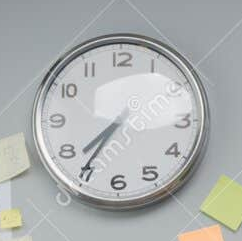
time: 7:35
